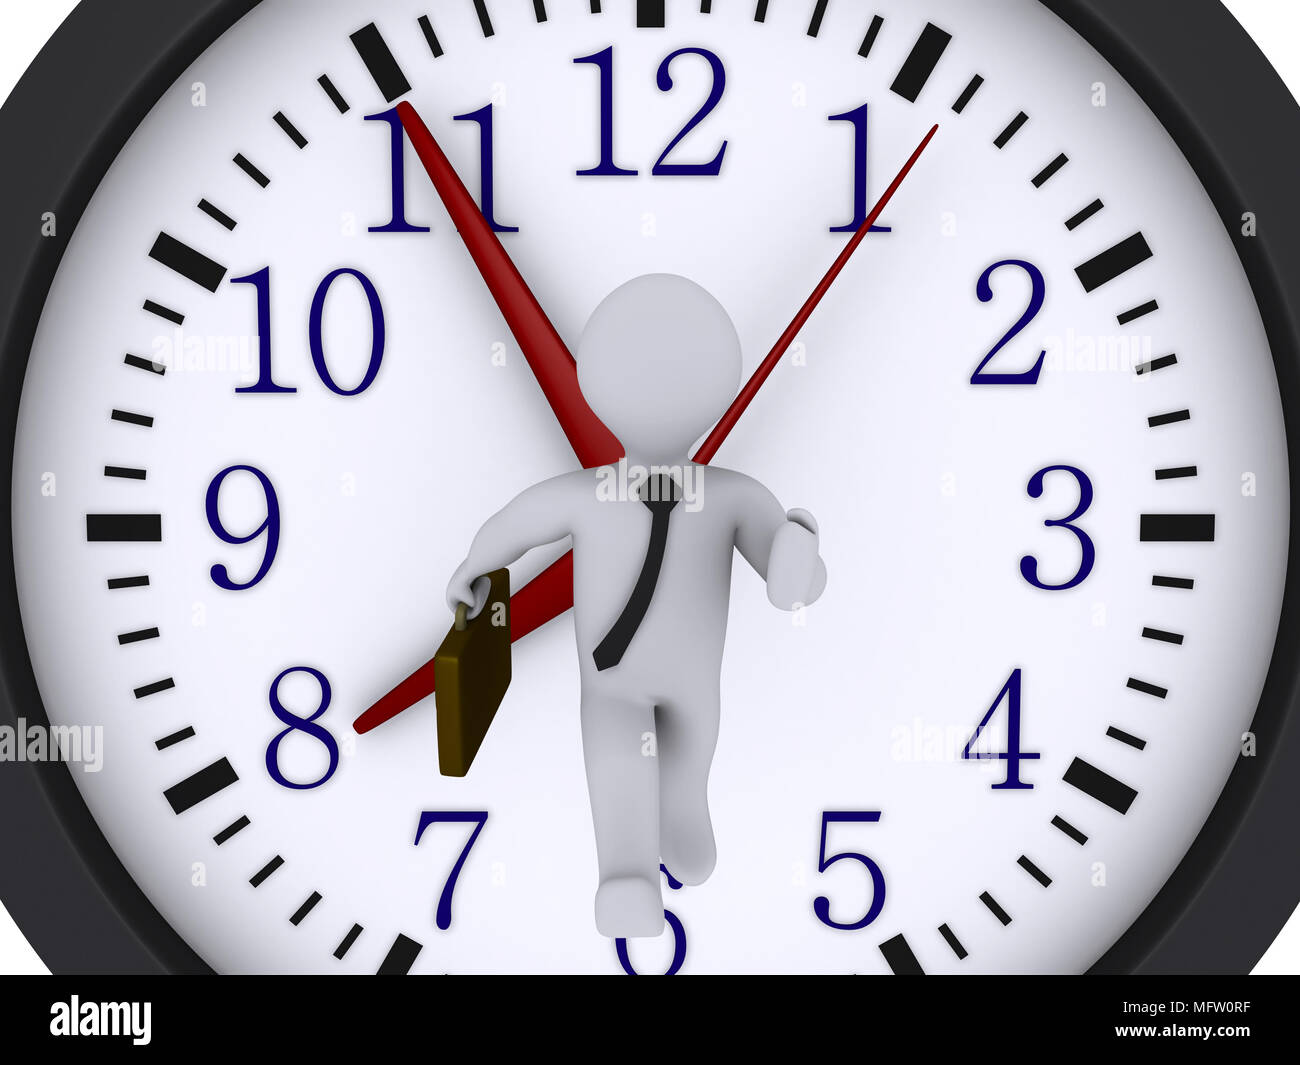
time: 6:54
